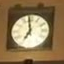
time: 6:58
